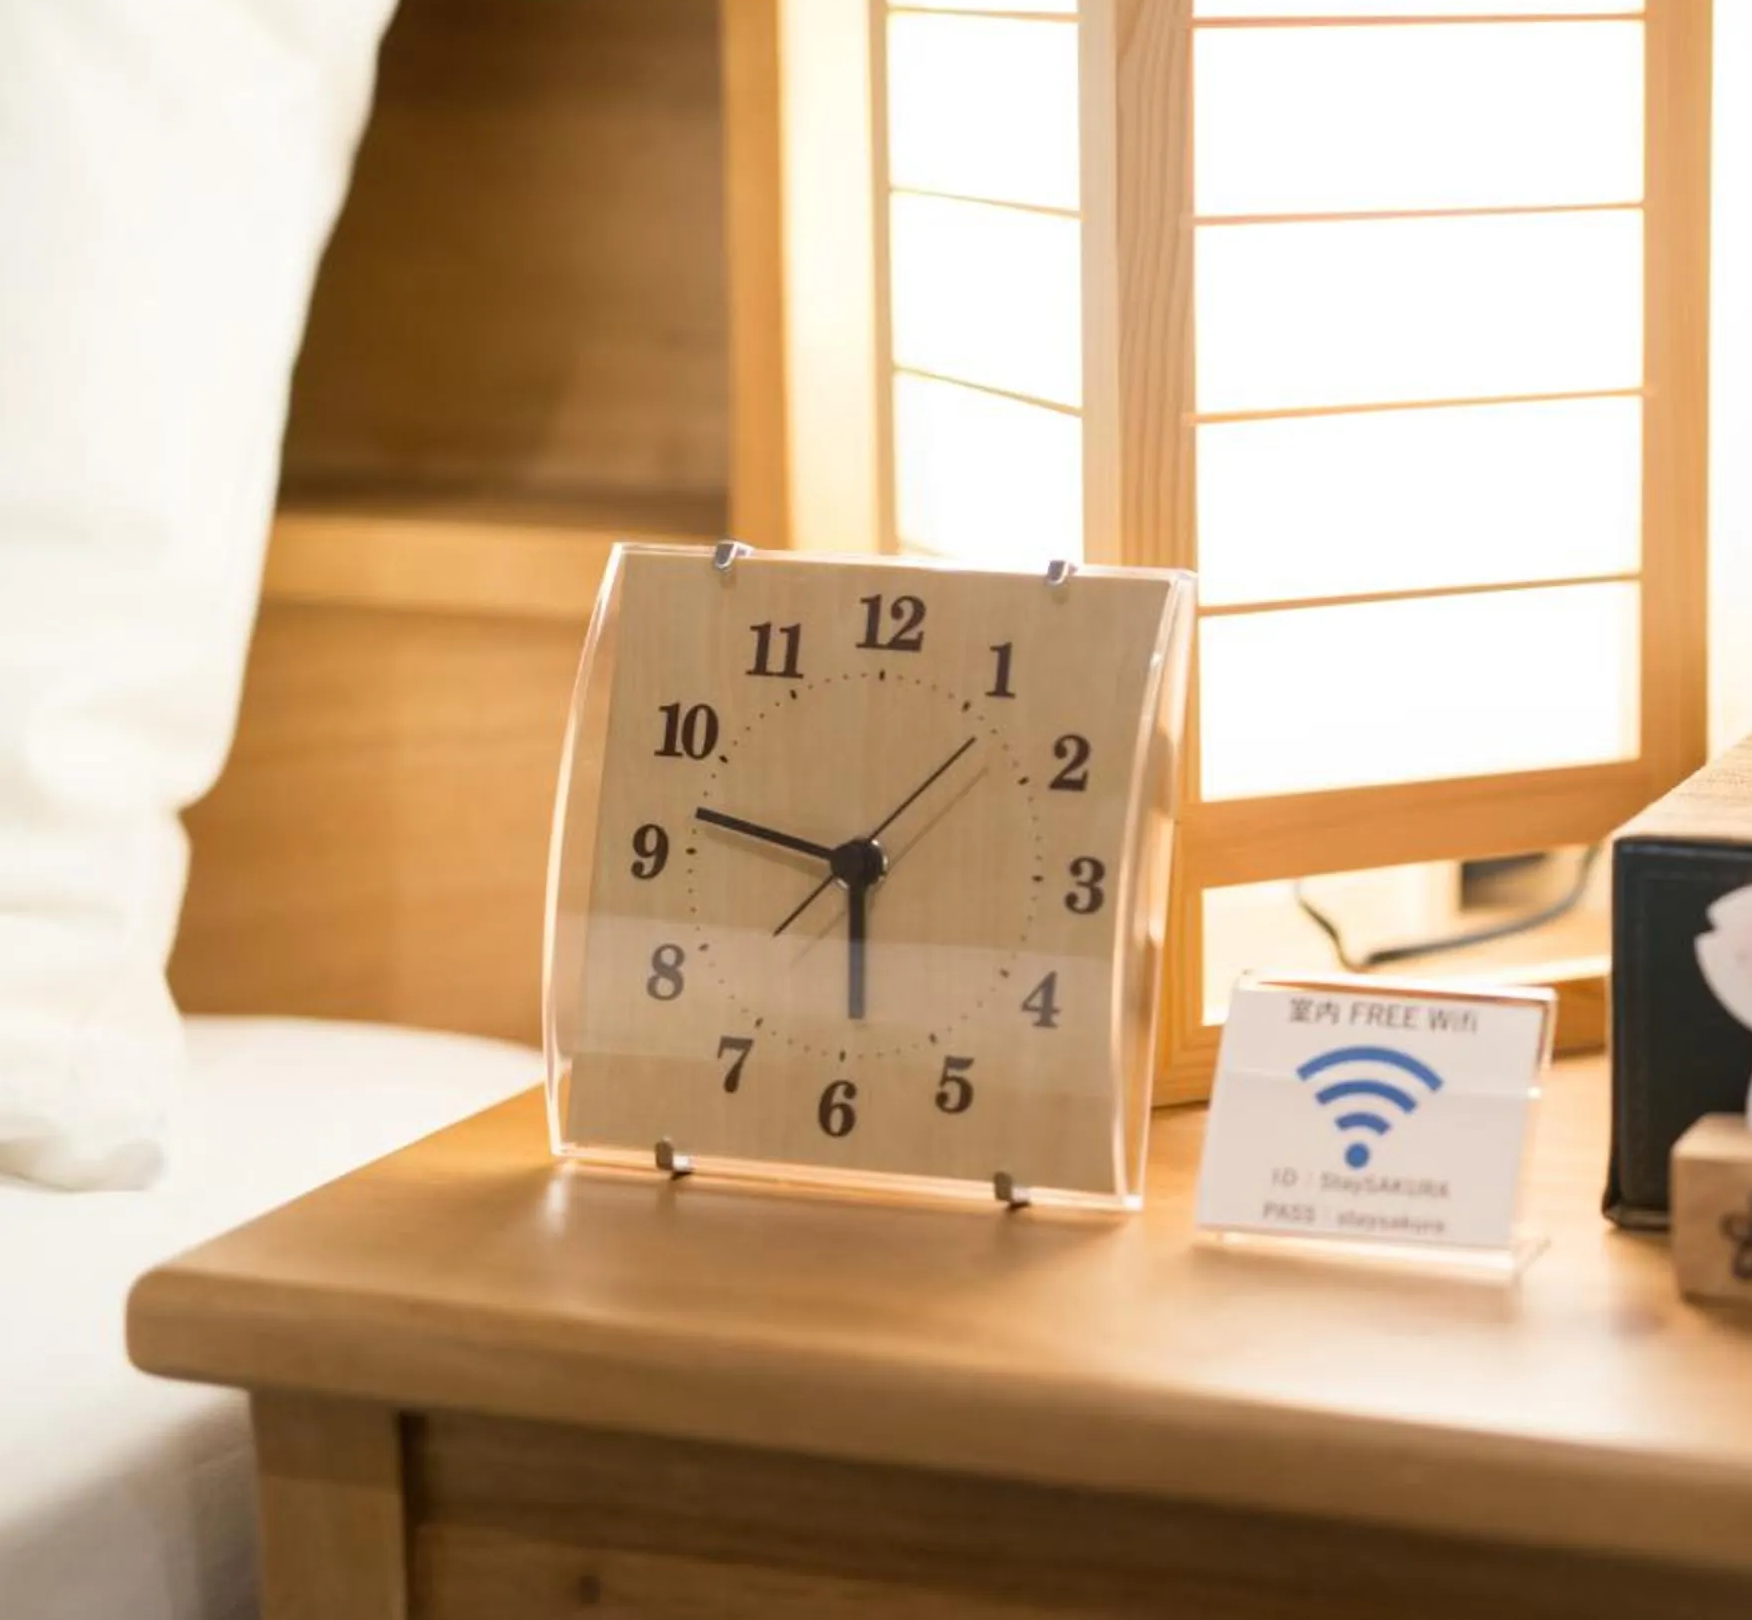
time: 5:47
